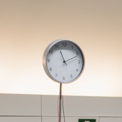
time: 11:11
